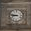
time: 8:47
